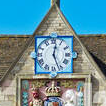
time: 12:26
